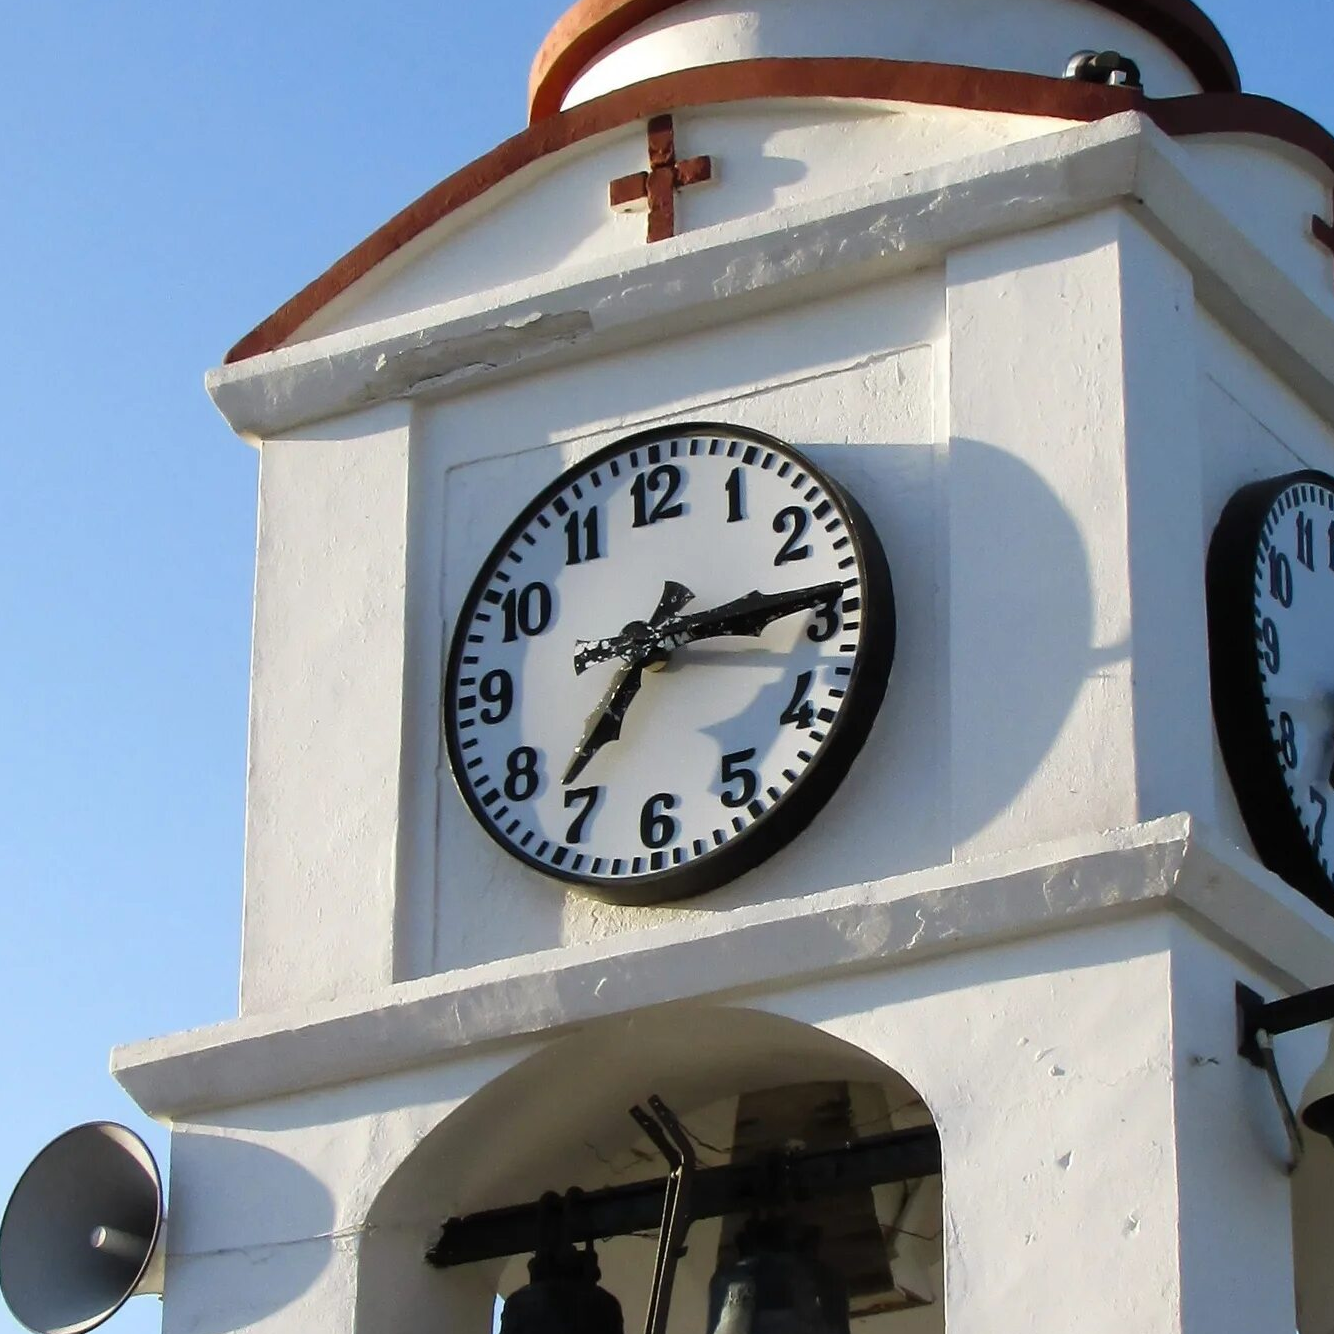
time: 7:14
